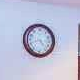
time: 4:41
